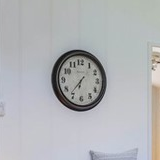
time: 6:36
